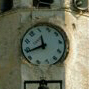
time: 11:43
